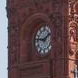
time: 1:46
